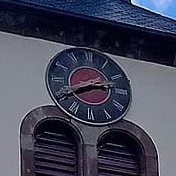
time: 2:40
